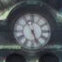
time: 5:26
